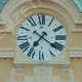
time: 7:21
